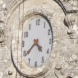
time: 4:38
